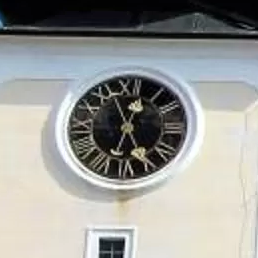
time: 12:25
